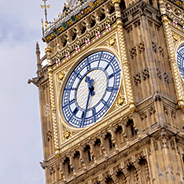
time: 11:34
